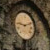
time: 9:11
